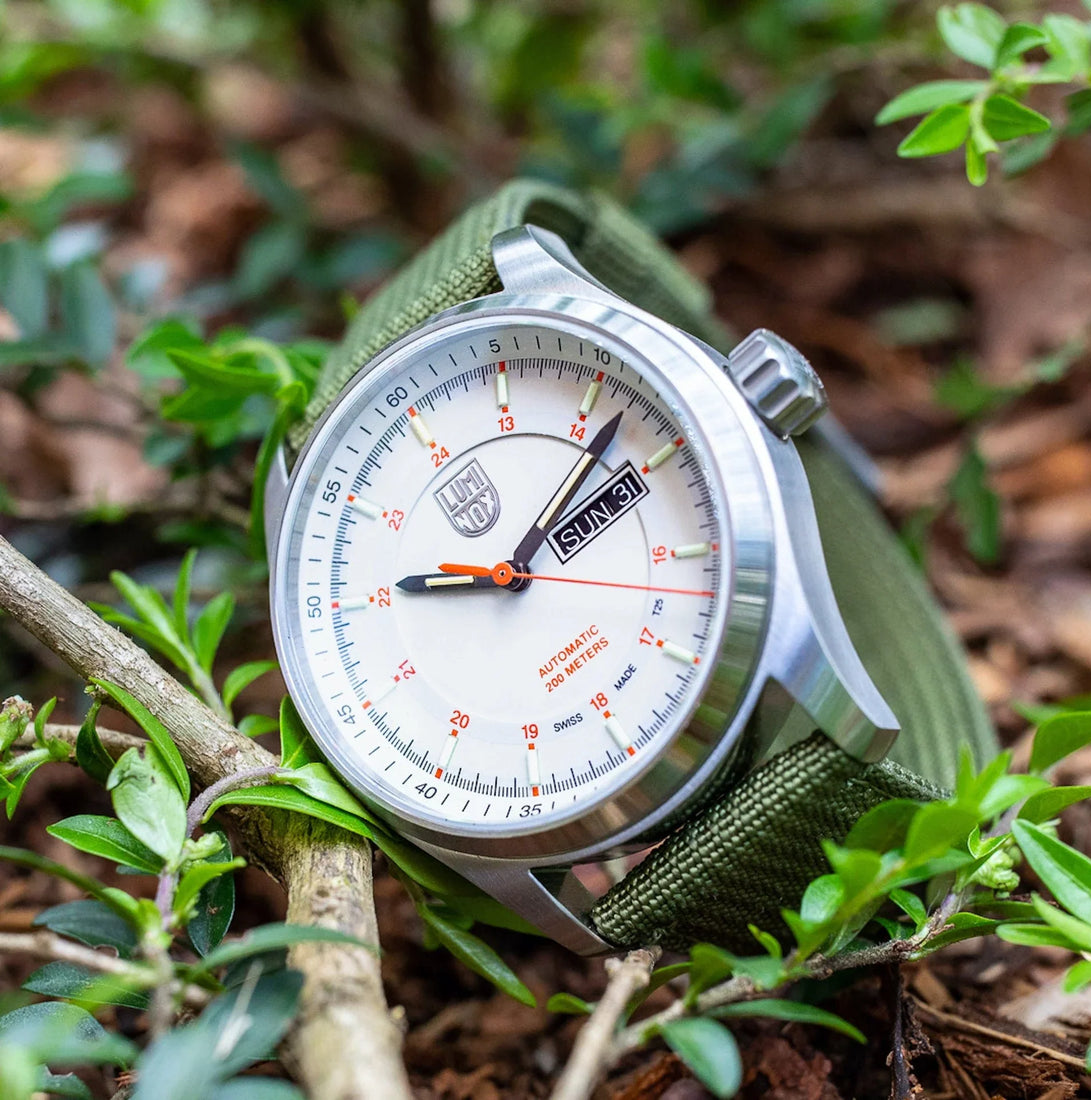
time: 2:07
